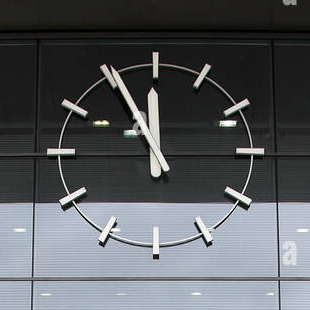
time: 11:55
